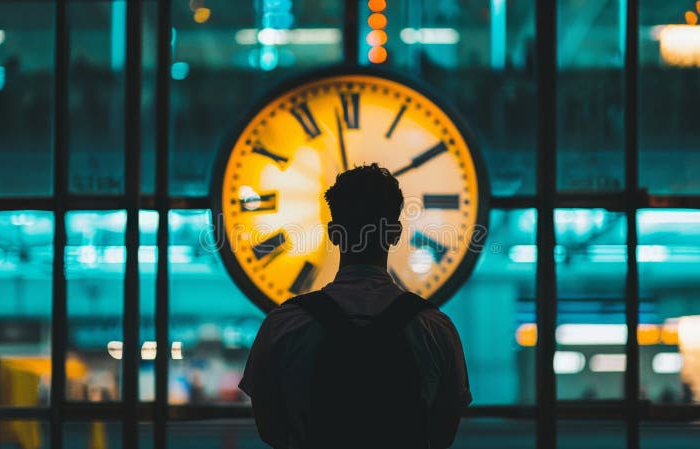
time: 1:58
